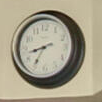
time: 8:35
